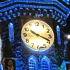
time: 10:18
